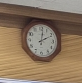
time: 2:01
